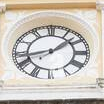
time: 1:42
